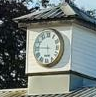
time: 5:45
